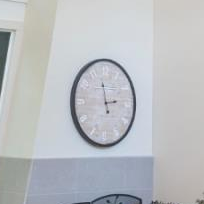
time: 2:58
